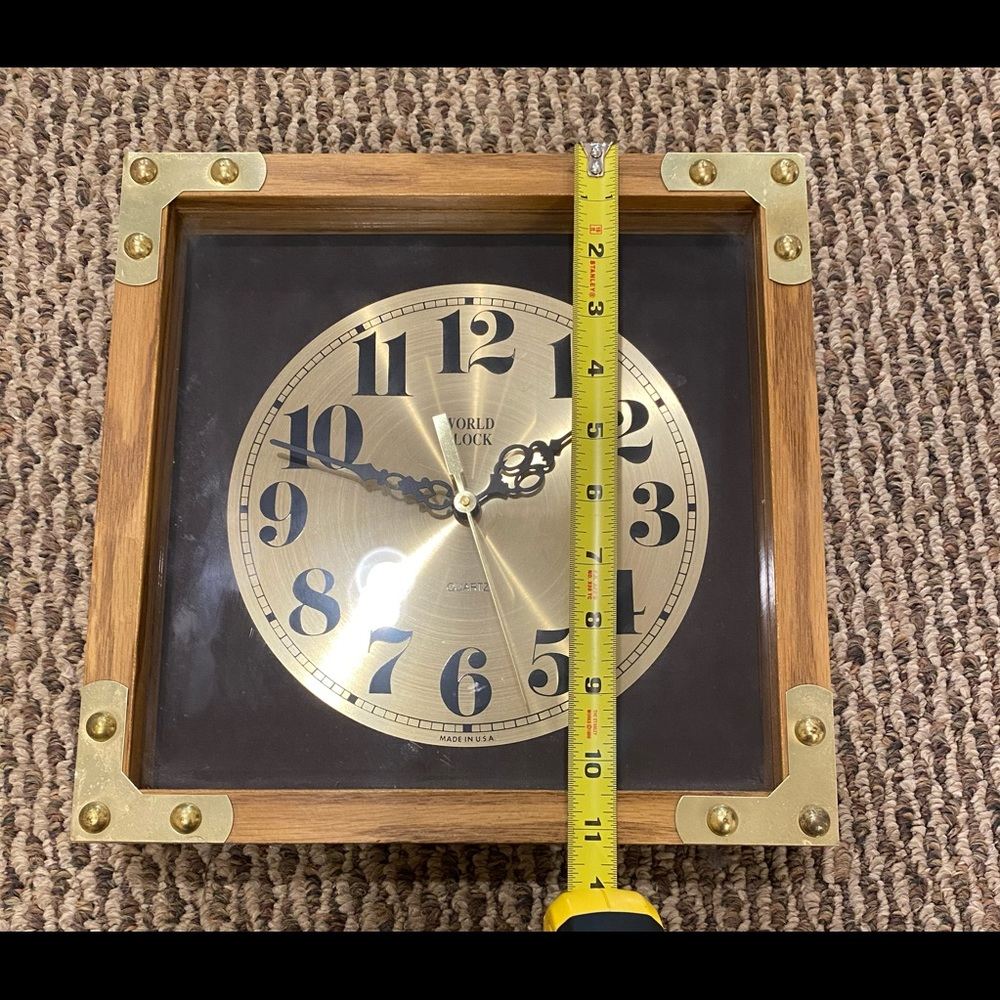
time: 1:47
